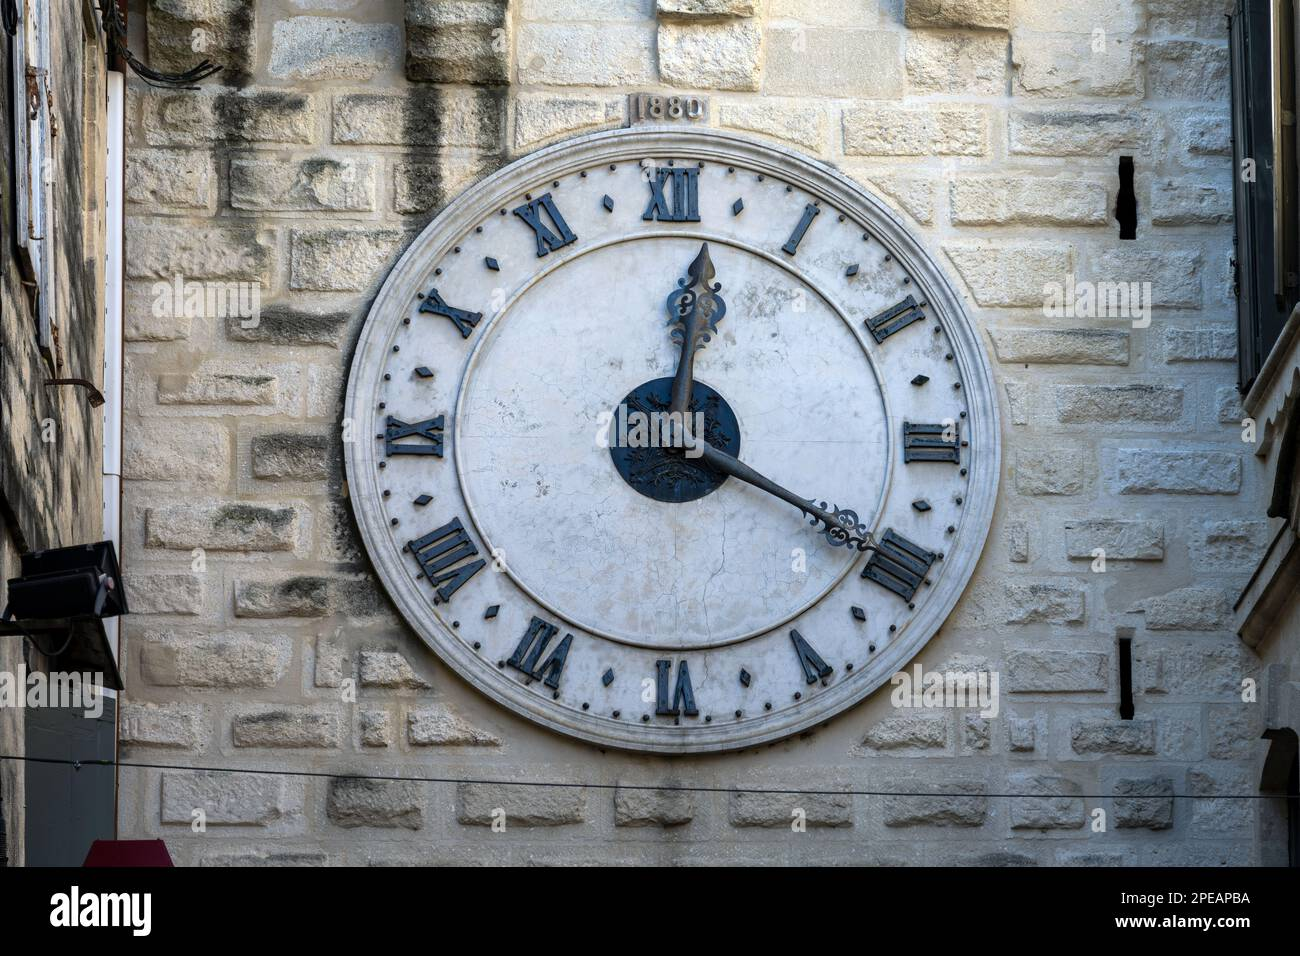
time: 12:19
